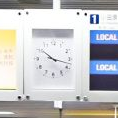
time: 10:17
